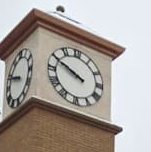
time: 9:49
